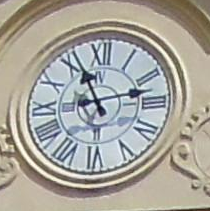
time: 11:12
